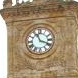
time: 11:18
